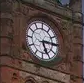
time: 5:14
